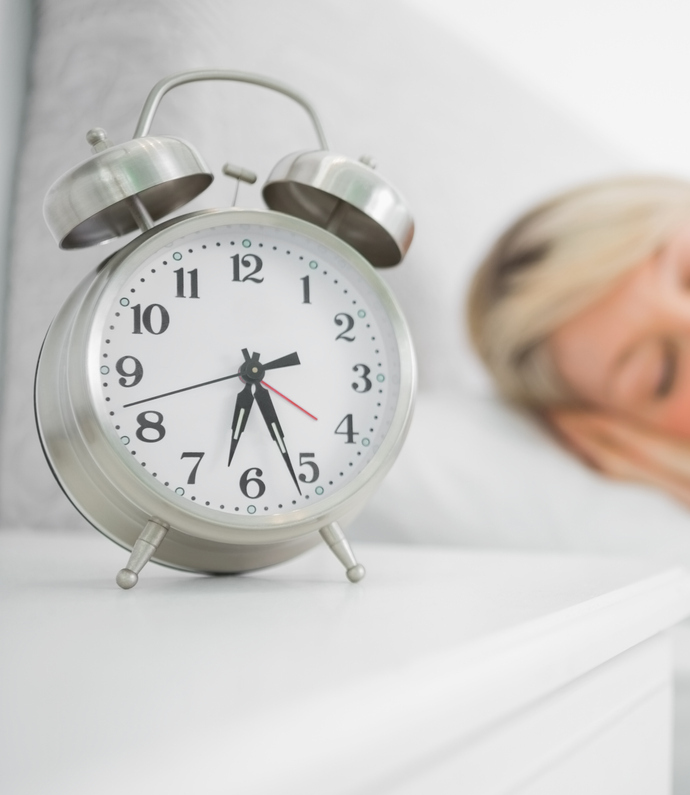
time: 6:26
